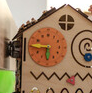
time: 5:45
